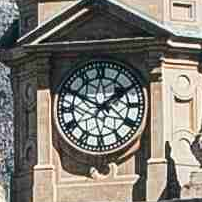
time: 1:49
